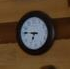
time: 6:46
